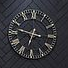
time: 6:47
